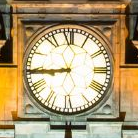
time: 8:44
